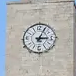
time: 3:04
